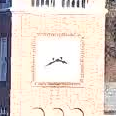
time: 3:39
